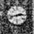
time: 2:42
